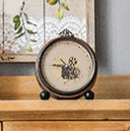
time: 6:45
